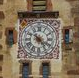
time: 4:19
